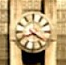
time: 4:21
